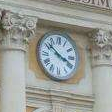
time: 3:51
